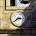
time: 2:38
